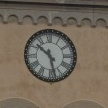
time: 10:28
